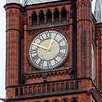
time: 12:48
